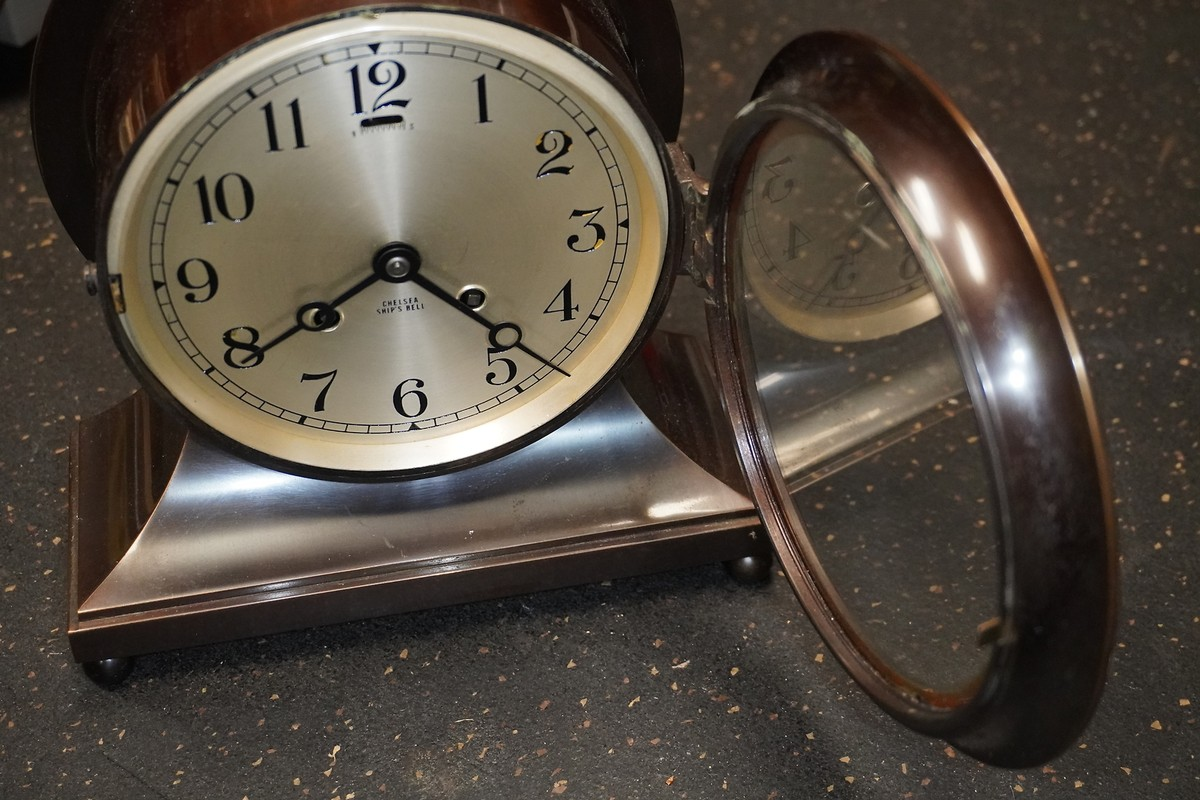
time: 4:39
